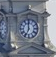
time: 6:59
